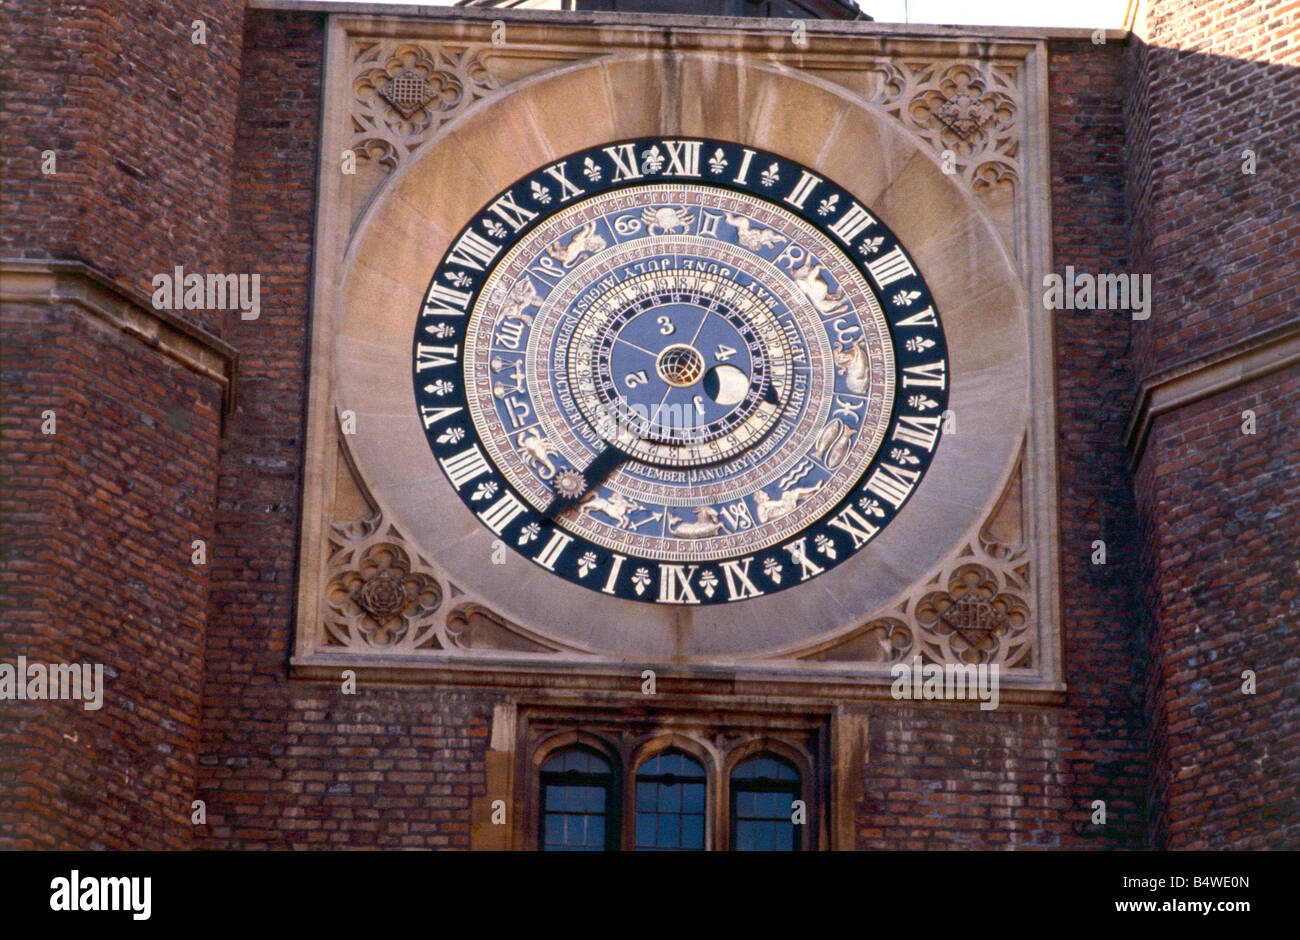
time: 3:36
